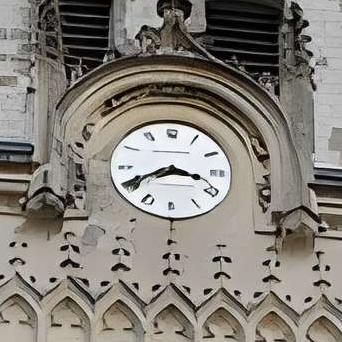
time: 3:40
